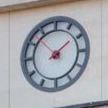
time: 1:52
